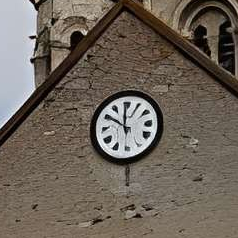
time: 11:50
